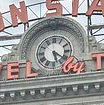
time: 5:20
